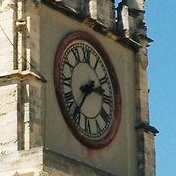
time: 2:36
